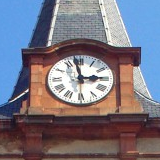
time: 2:58
